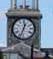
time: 12:33
